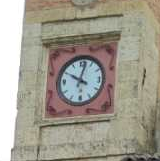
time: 10:02
